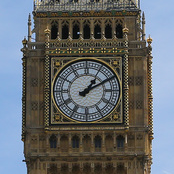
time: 1:10
